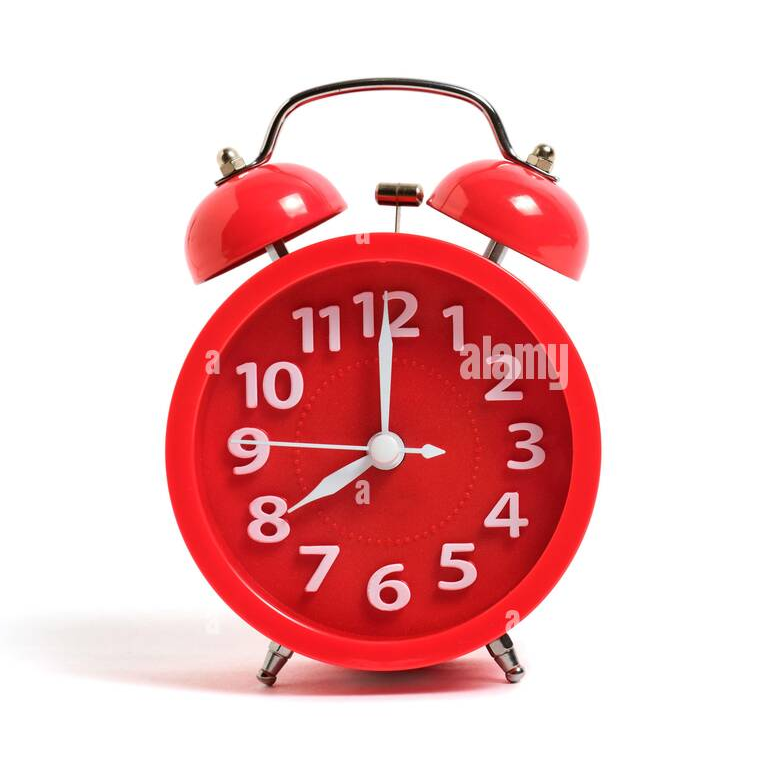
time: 8:00
